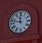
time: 11:47
